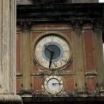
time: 10:32
